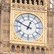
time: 12:49
